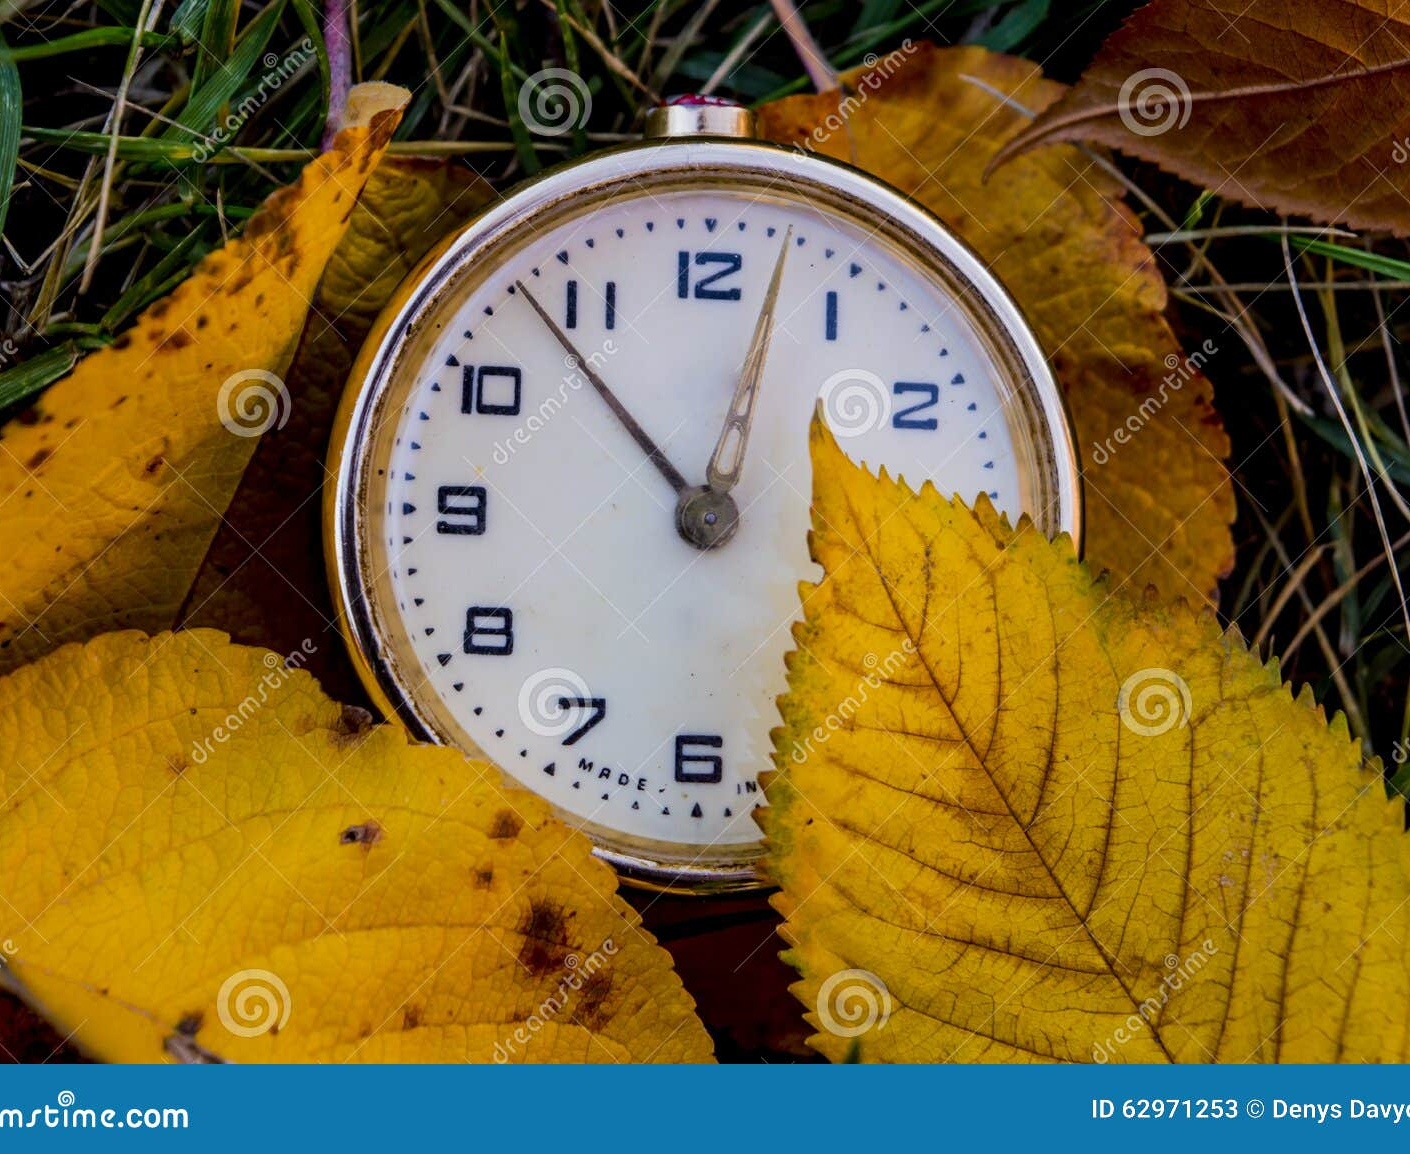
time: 12:53
